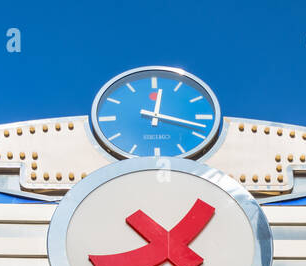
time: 12:17
